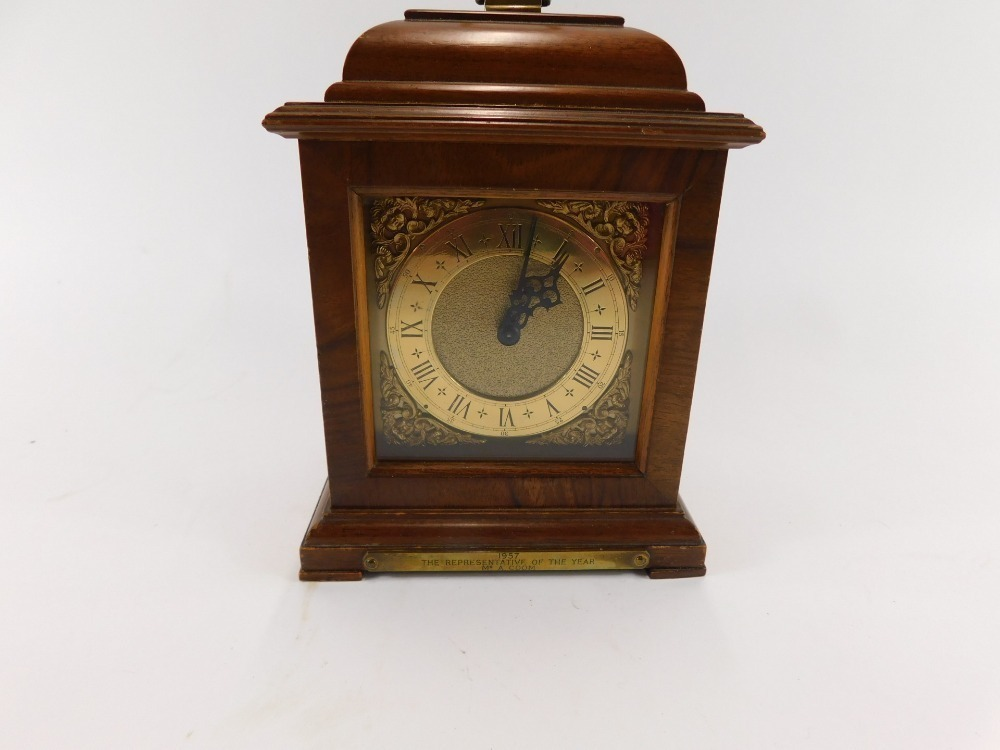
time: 1:02
